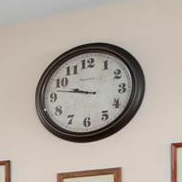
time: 9:47
